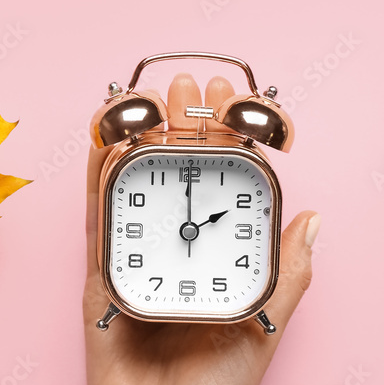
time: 2:00
